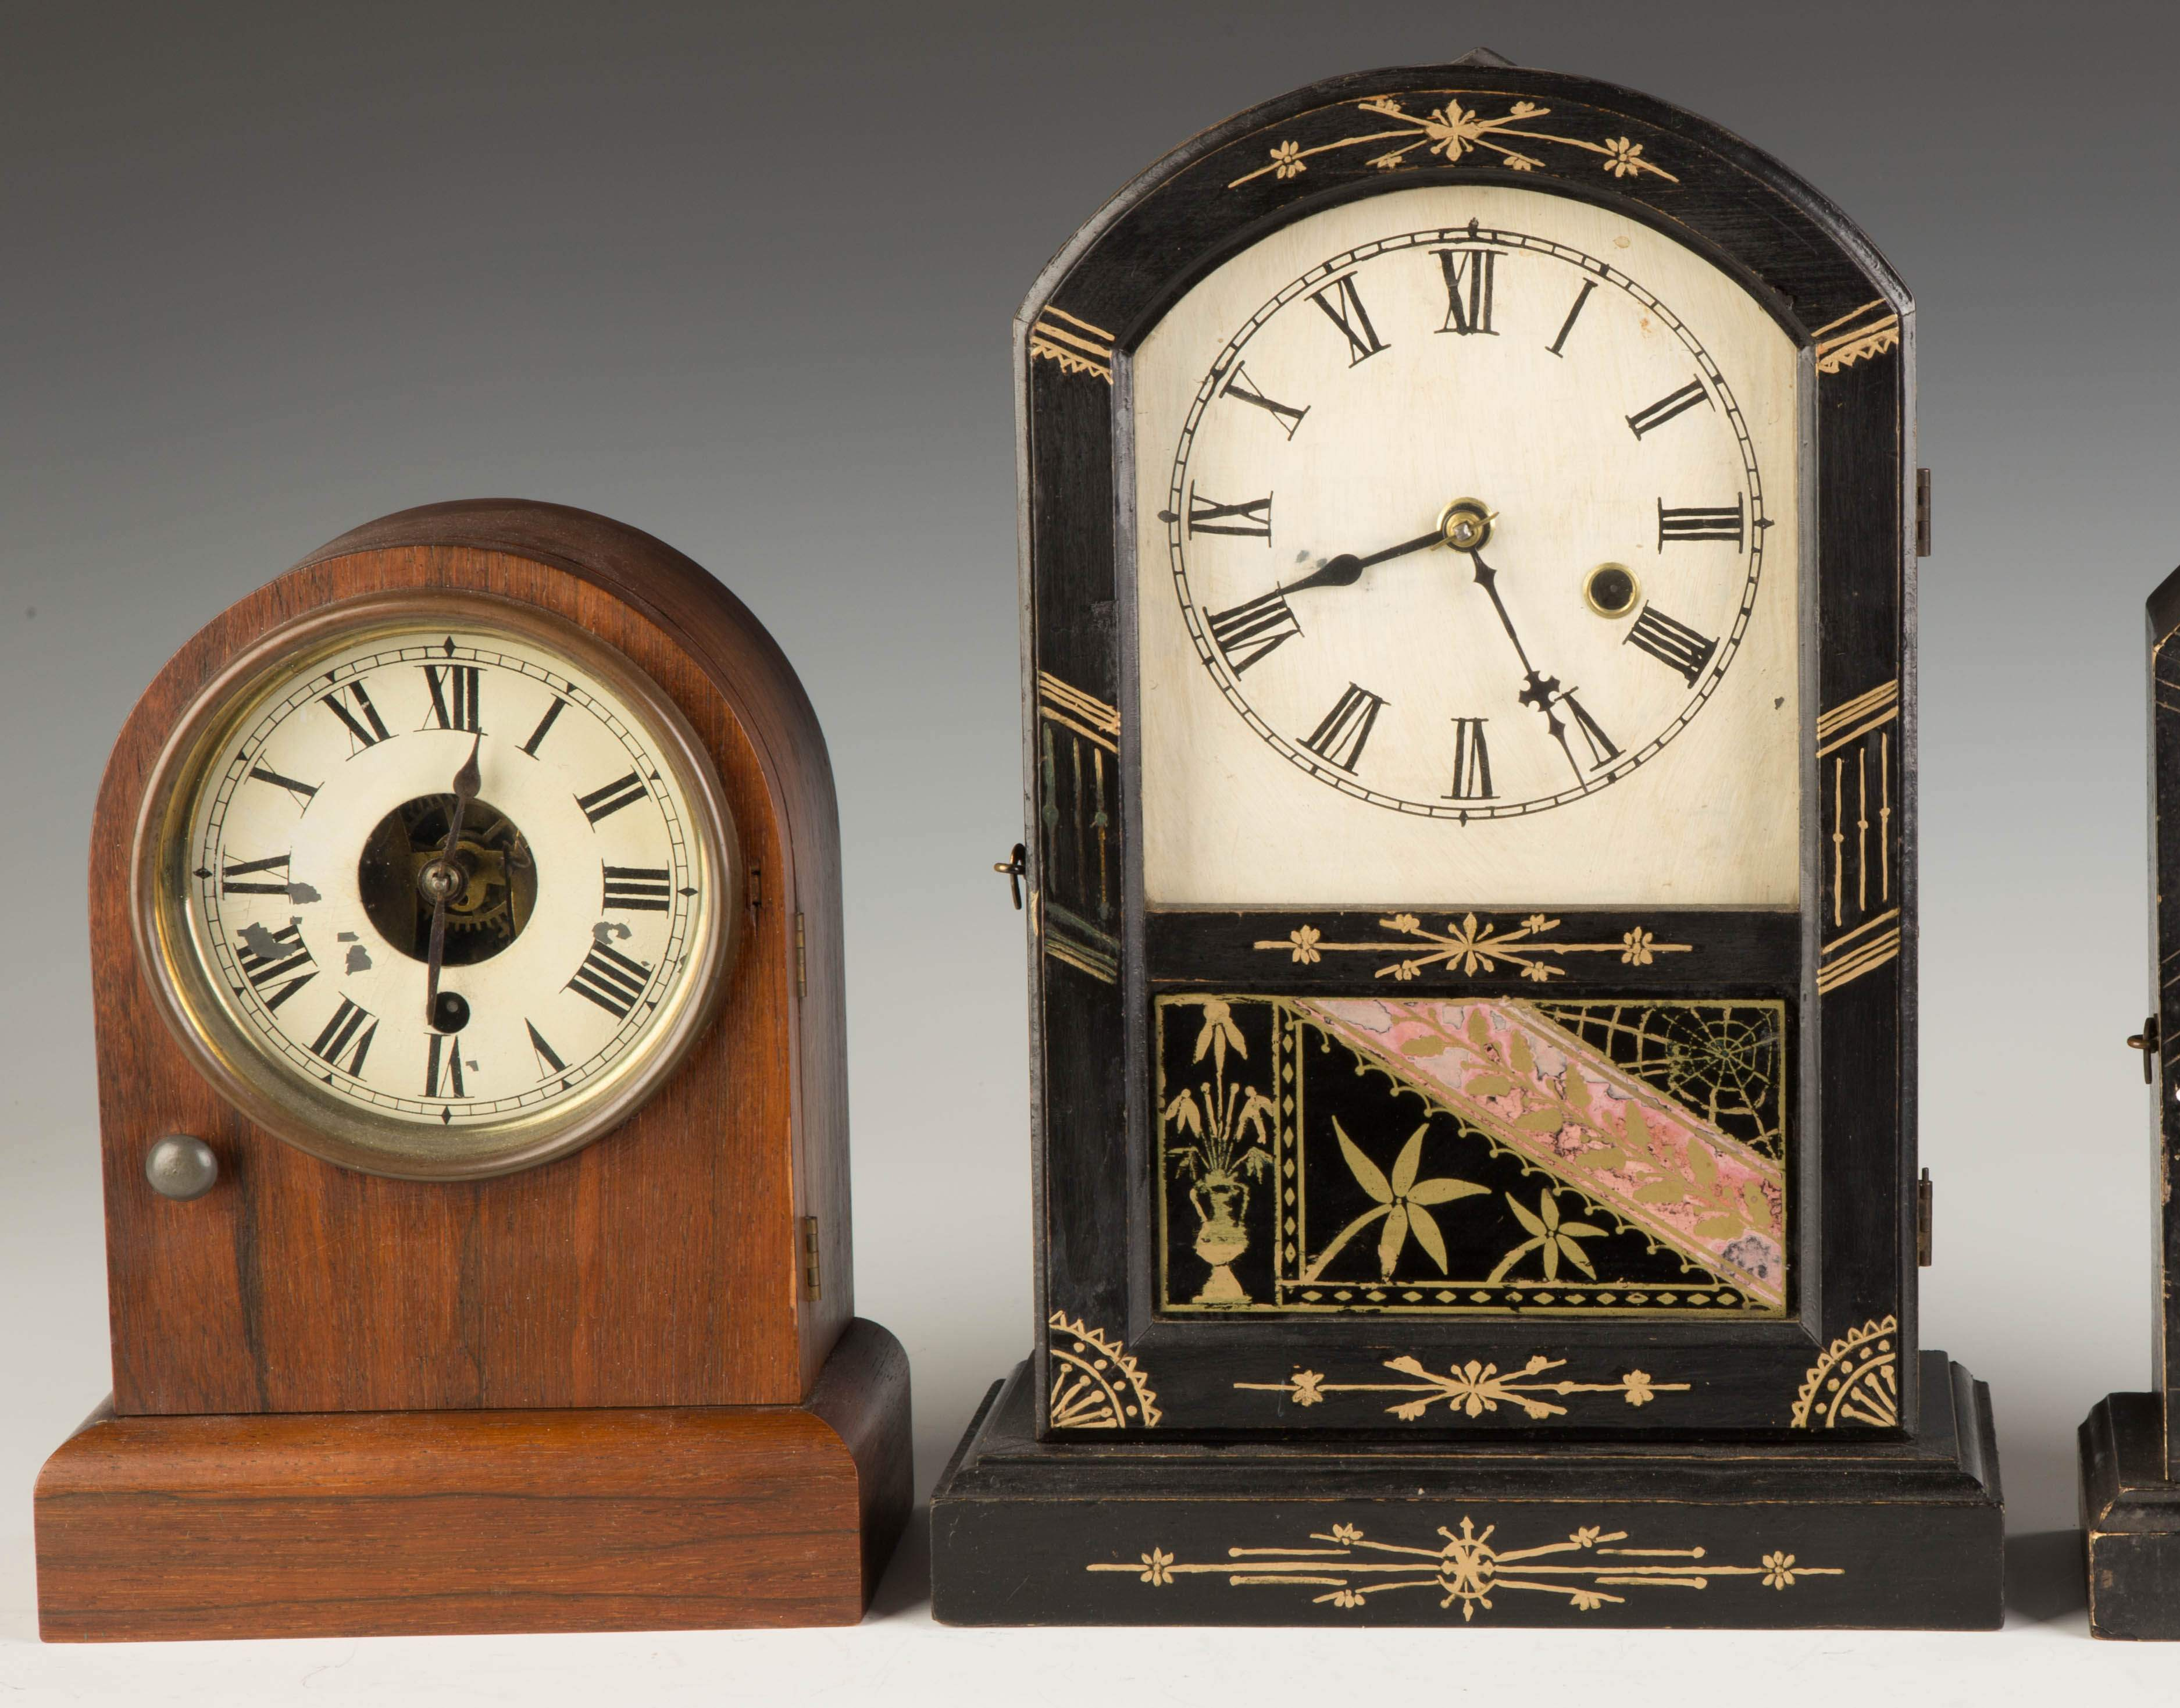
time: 6:01
